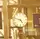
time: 4:47
